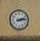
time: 2:13
